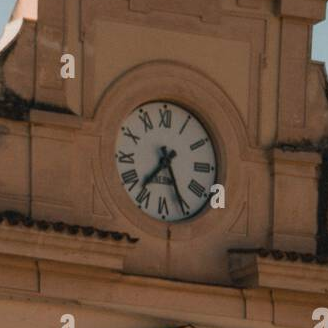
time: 7:25
